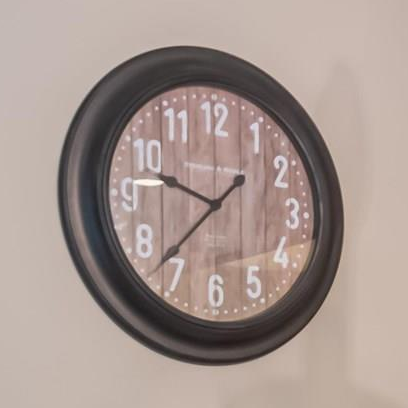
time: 9:37
